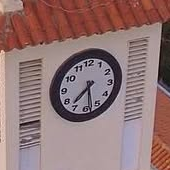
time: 7:28
